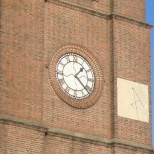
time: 1:22
